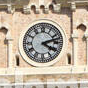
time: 4:12
